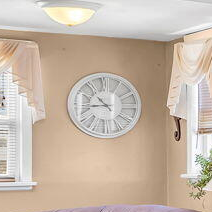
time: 10:45
